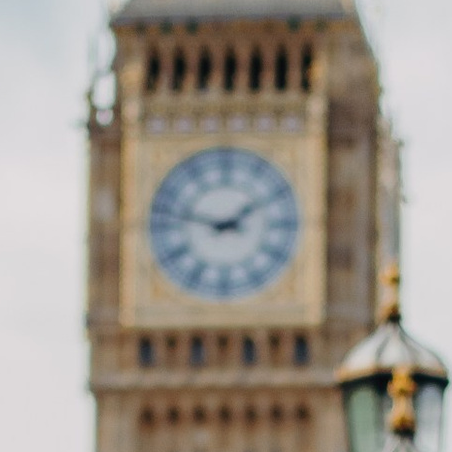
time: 1:47
